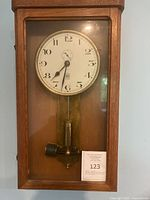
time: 7:32
